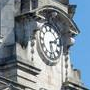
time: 2:29
